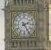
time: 2:24
